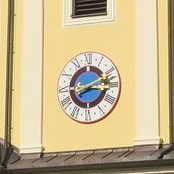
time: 3:11
